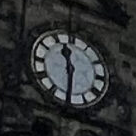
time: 11:30
